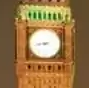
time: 8:43
